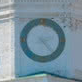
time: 2:23
